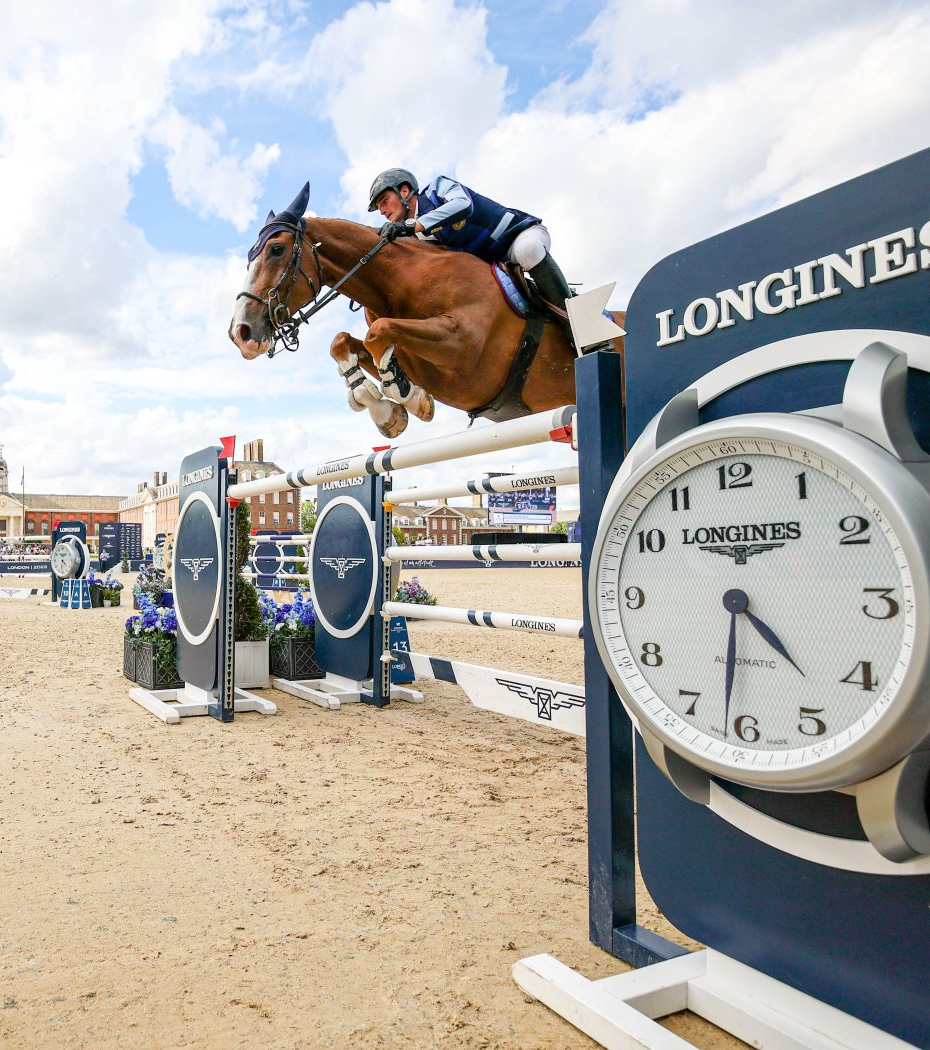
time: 4:31
